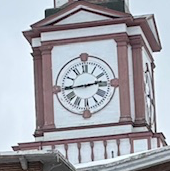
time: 2:44
